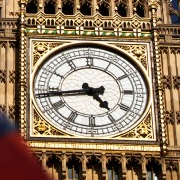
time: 4:43
